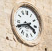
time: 3:41
